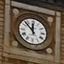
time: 11:52
